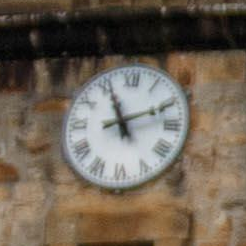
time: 11:11
